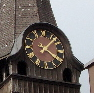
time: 4:07
